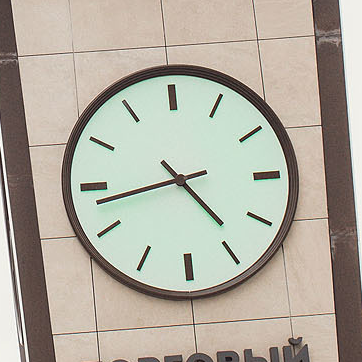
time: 4:42
